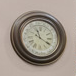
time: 11:19
